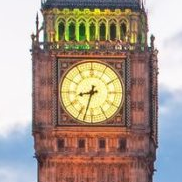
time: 8:32
